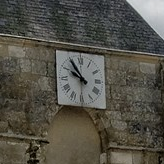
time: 9:54
